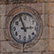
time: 2:56
